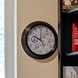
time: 10:00
